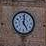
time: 5:01
